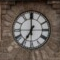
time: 6:59
